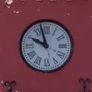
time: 9:57
